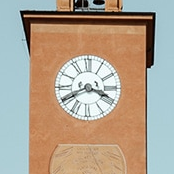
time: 3:40
